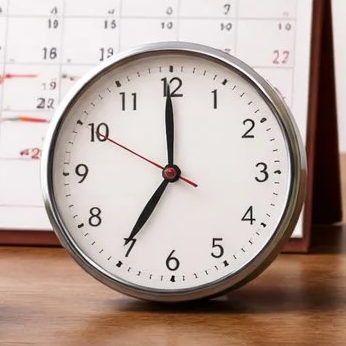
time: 6:59
